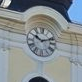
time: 10:12
